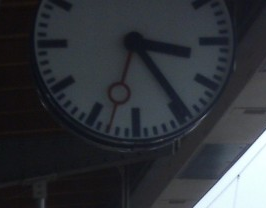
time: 3:24
